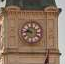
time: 9:45
